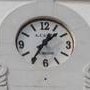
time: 1:35
